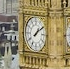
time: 1:09
